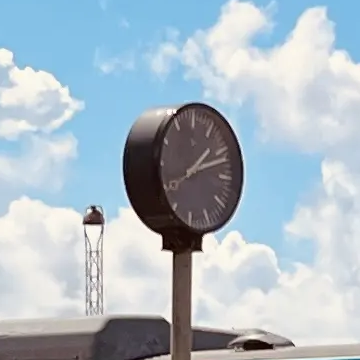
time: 1:11
